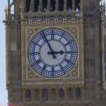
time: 2:56
